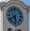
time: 5:38
